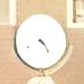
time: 4:23
